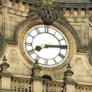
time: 8:14
